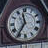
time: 11:35
